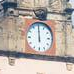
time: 11:59
